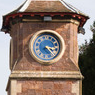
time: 3:22
